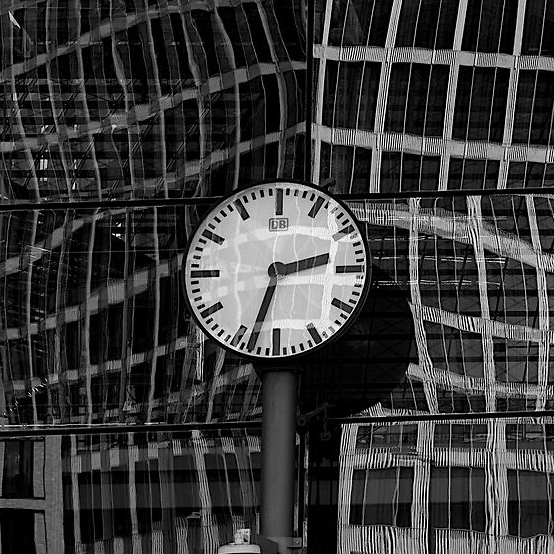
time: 2:33
